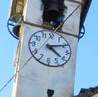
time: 4:10
